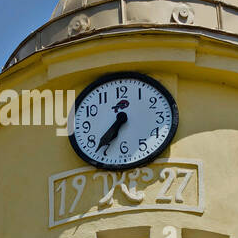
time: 7:36
